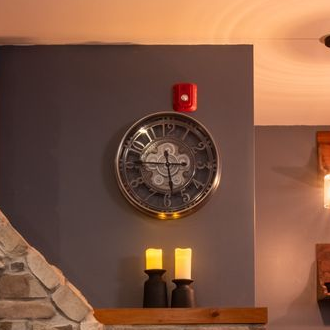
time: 5:45
